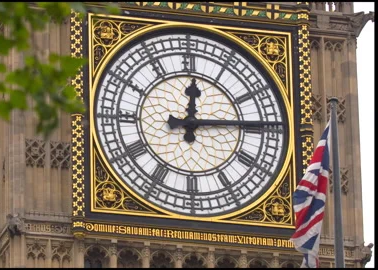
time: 12:14
